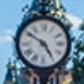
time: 4:50
